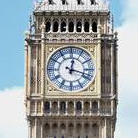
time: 12:18
